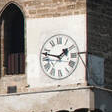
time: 1:47
